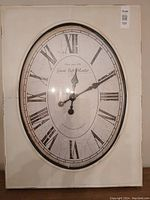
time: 12:10
